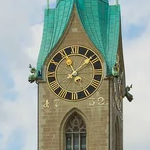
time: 11:08
